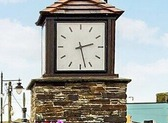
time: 2:27
